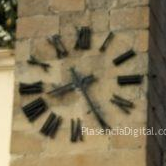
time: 8:24
